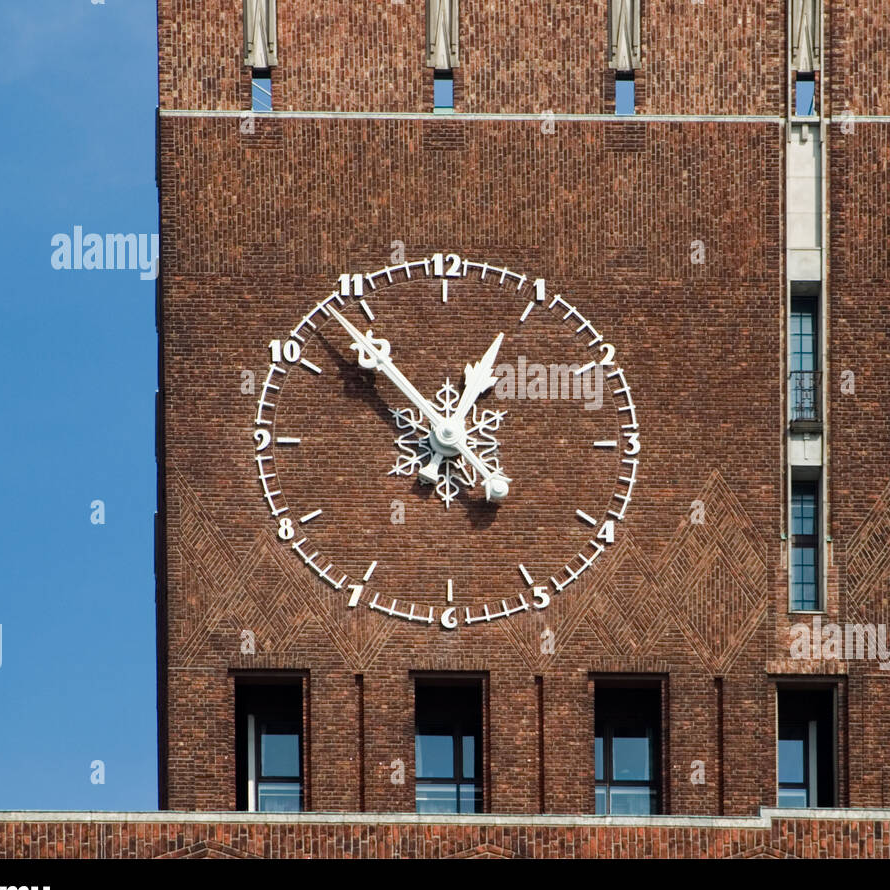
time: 12:53
